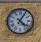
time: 4:04
